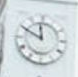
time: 11:49
